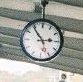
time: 2:53
